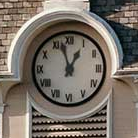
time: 12:57
